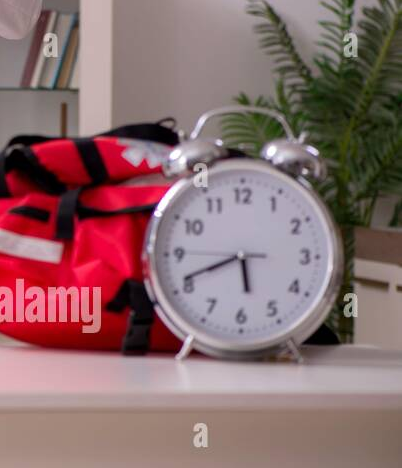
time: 5:41
